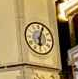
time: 6:03
